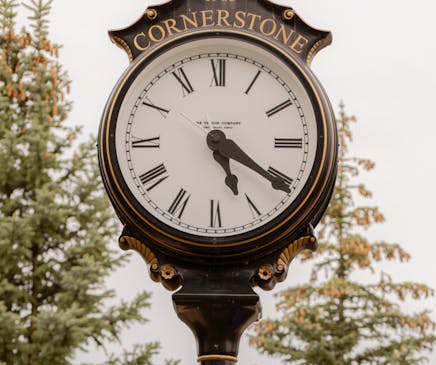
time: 5:20
